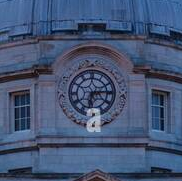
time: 6:14
